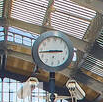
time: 2:43
